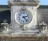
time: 2:23
